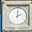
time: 2:00
